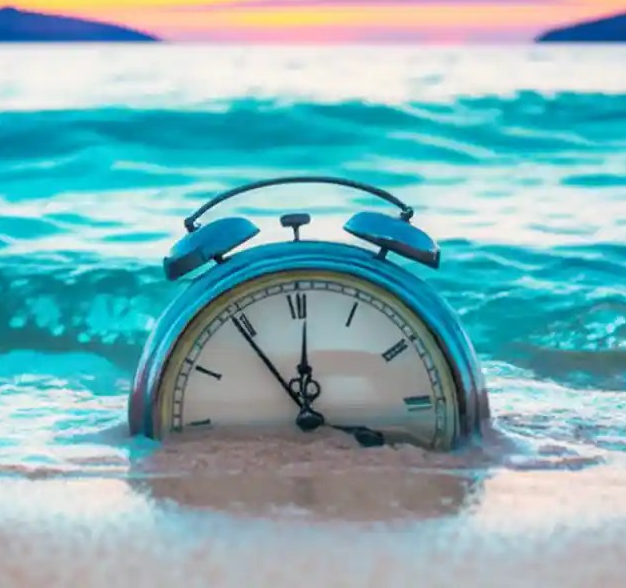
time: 11:54
